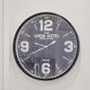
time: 9:40
